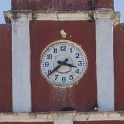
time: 3:39
